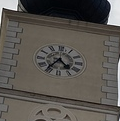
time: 4:36
